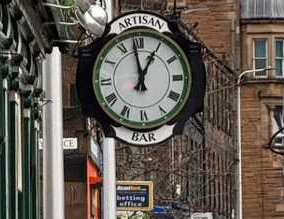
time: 12:58
